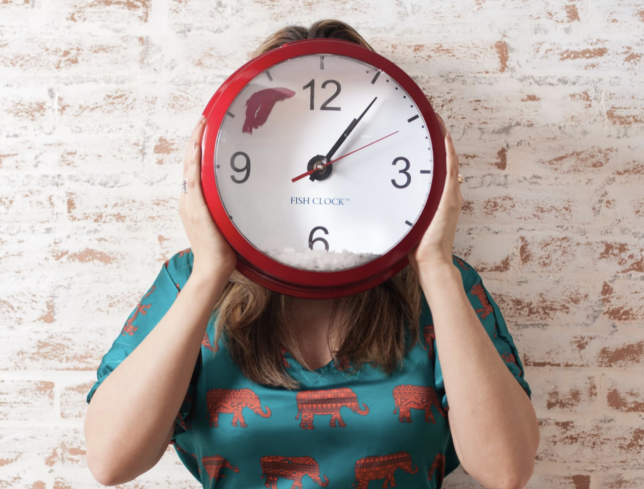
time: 1:06
